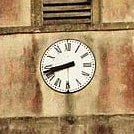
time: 8:42
